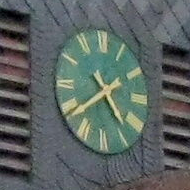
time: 4:39
